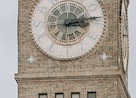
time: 3:13
